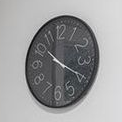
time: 10:19
